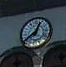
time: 12:38
